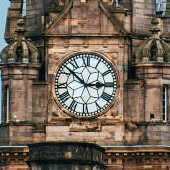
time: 2:52
